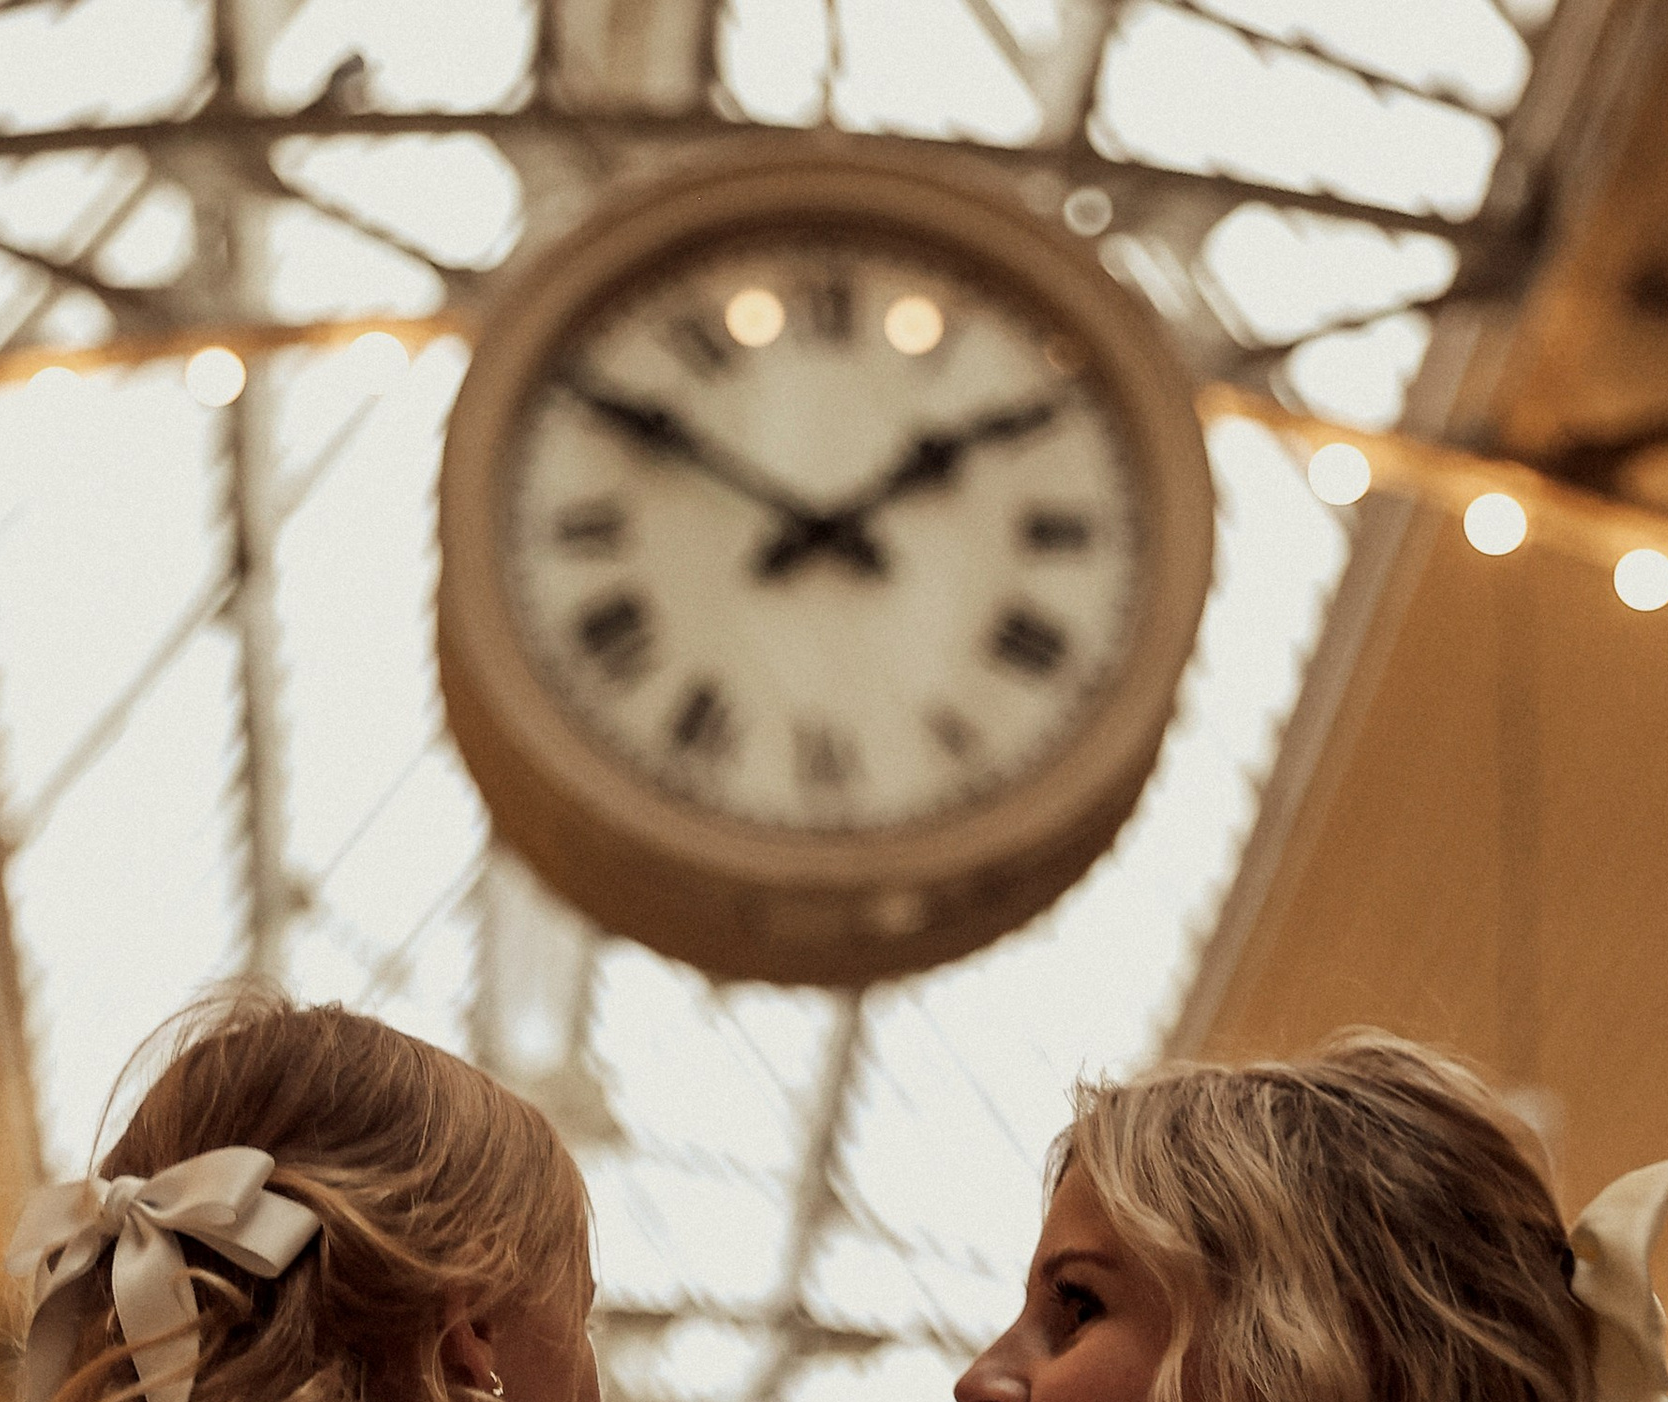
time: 1:50
